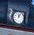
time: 12:05
